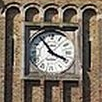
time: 3:54
